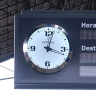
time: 12:18
